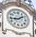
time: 1:43
